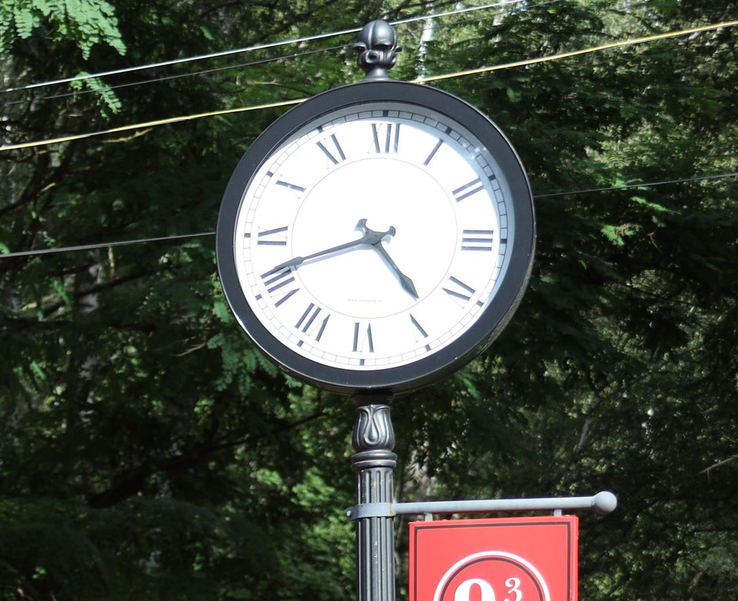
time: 4:41
